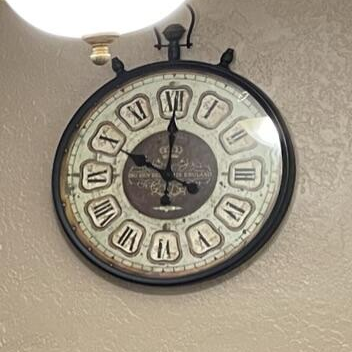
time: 10:00
